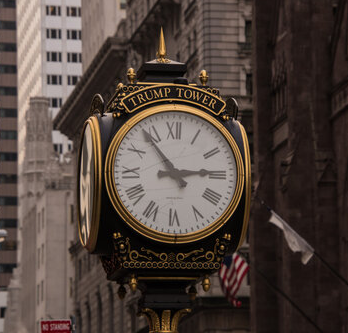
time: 2:53
